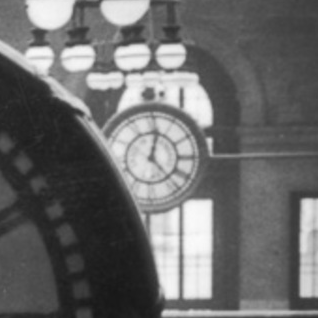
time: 12:23
